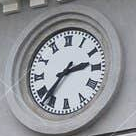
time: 2:37
